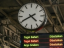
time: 4:40
